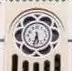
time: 5:32
